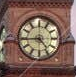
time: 4:44
